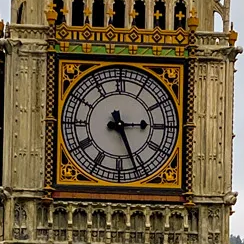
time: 5:14
